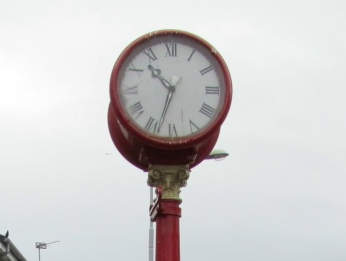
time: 10:33
